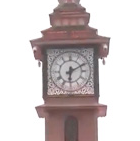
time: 6:10
